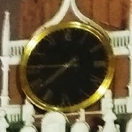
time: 7:45
